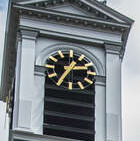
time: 2:35
